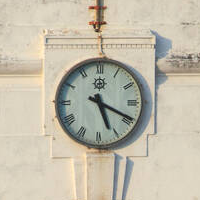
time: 5:19
